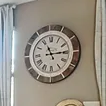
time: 11:14
